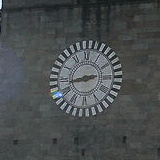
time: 8:43
